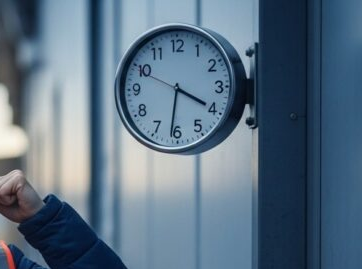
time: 3:31
